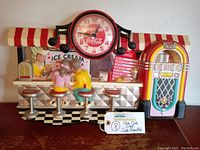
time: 12:46
